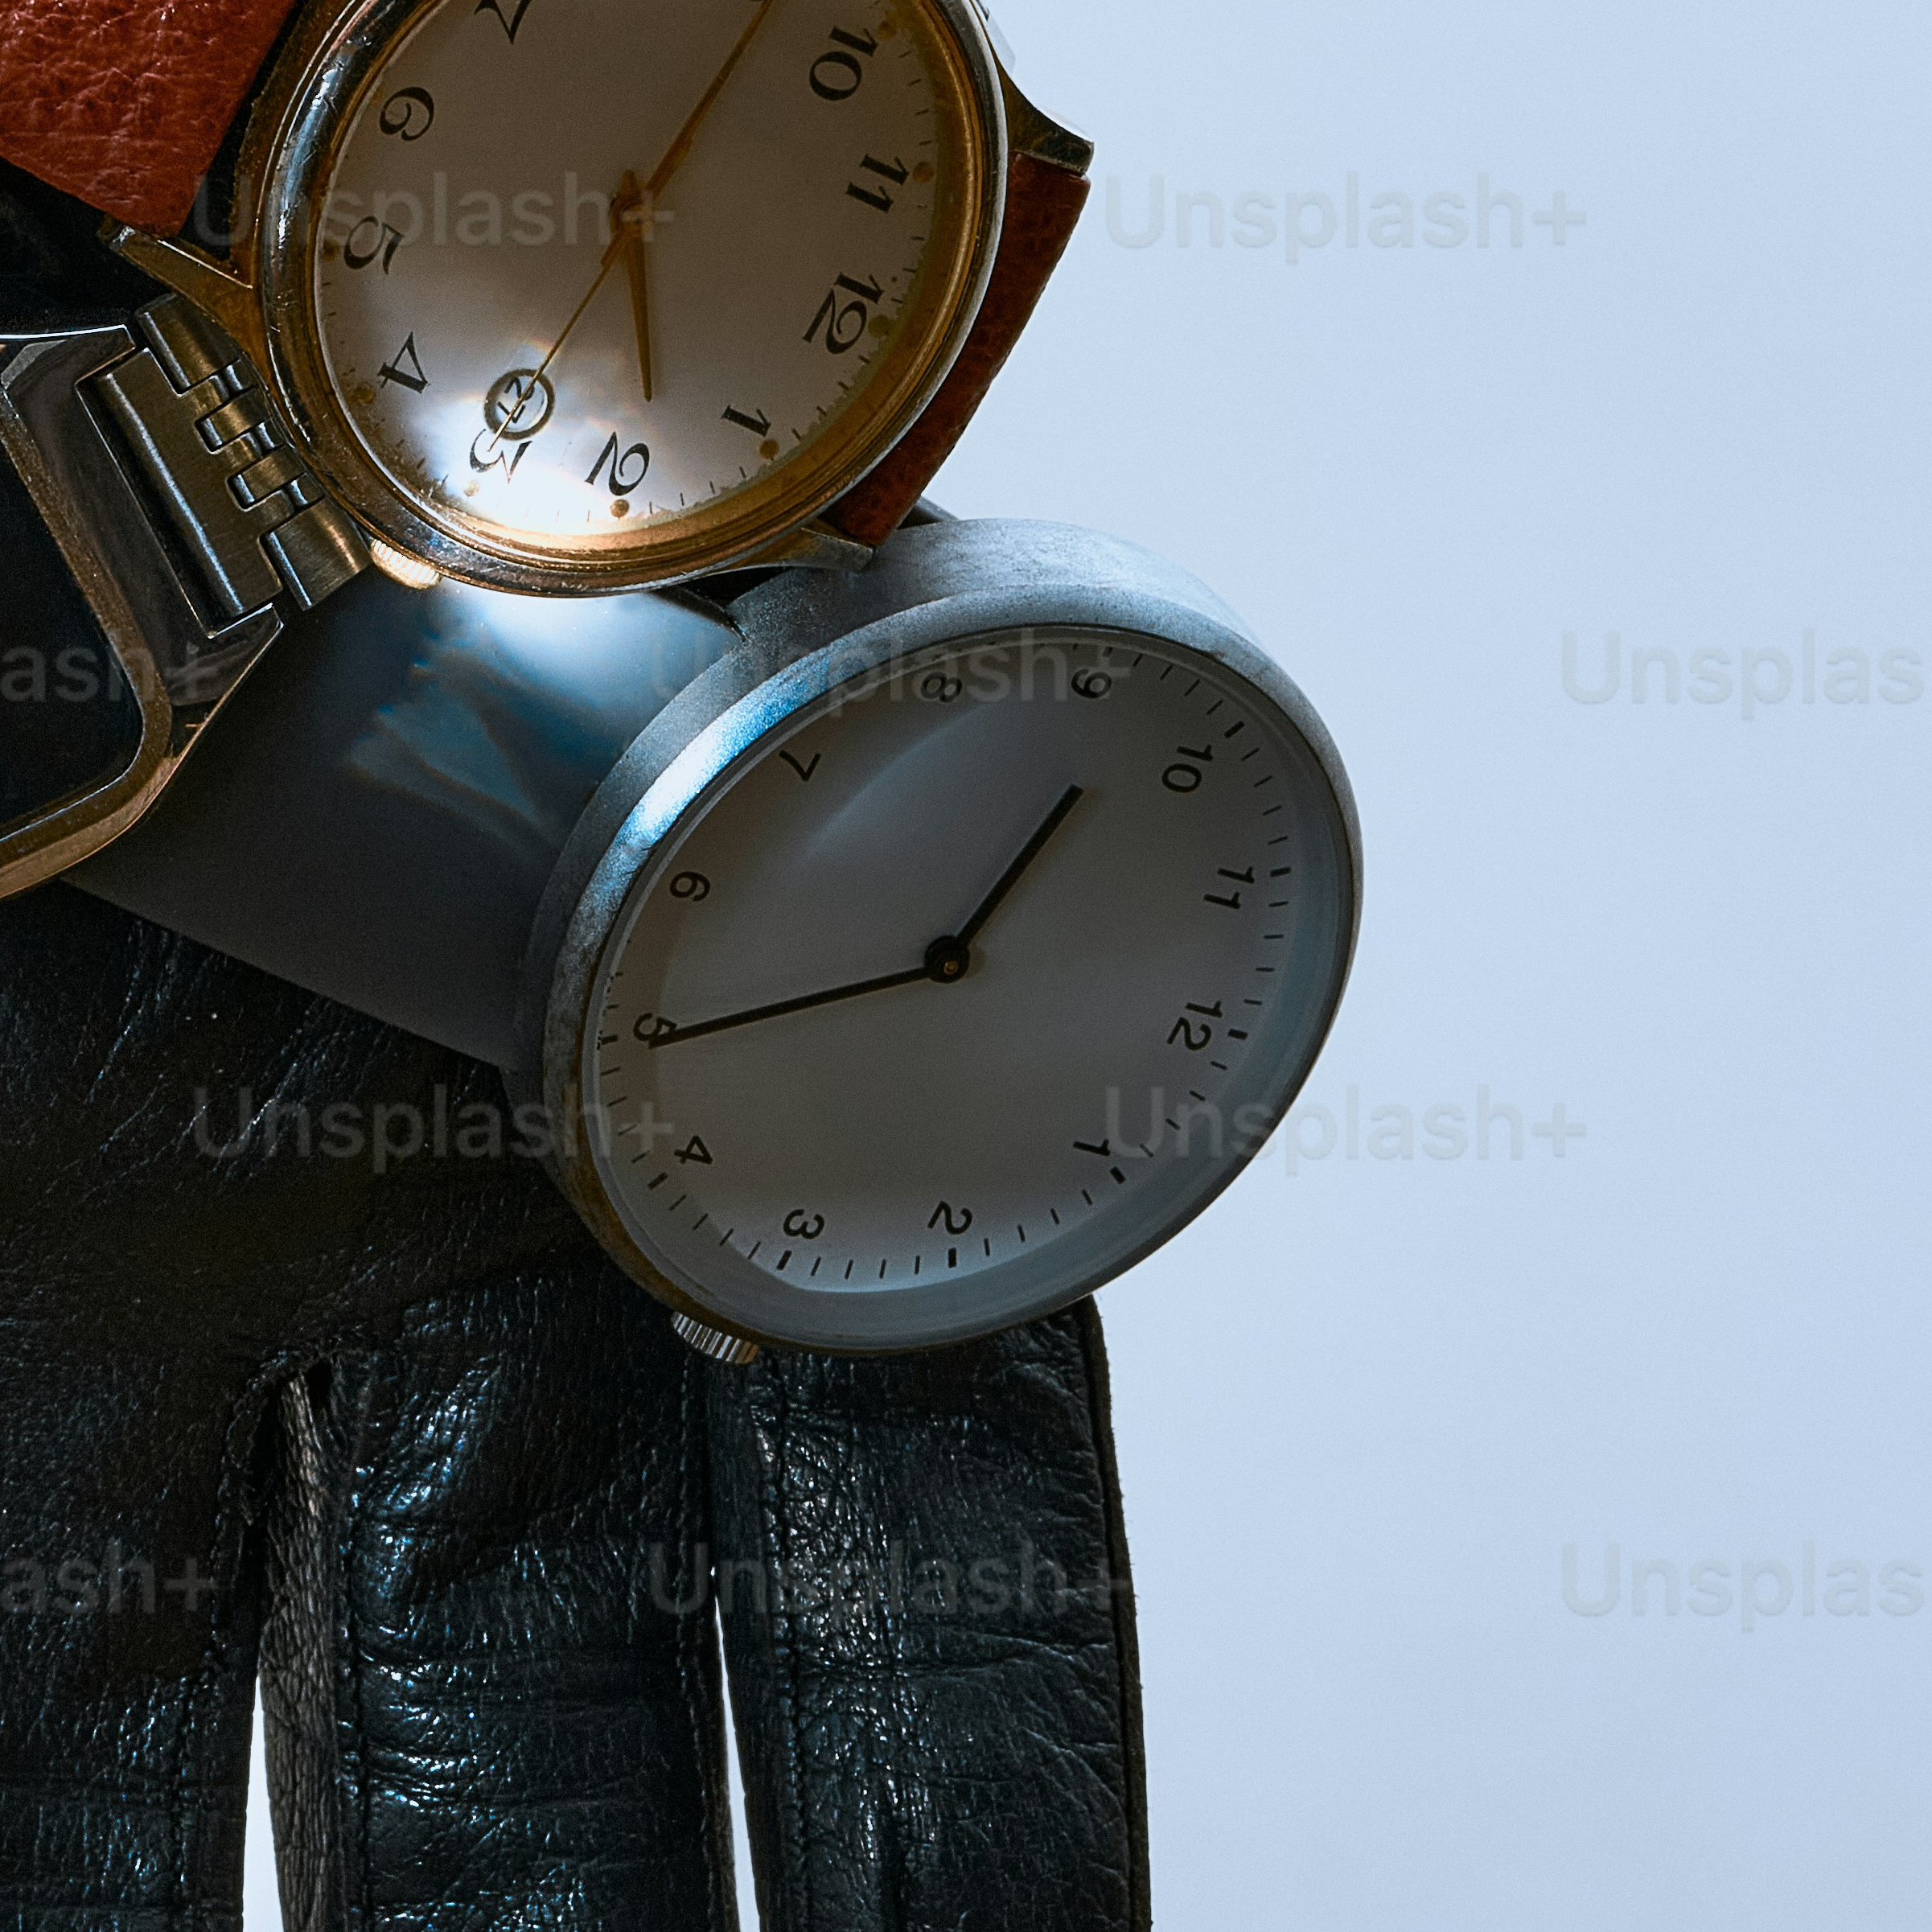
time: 12:44
